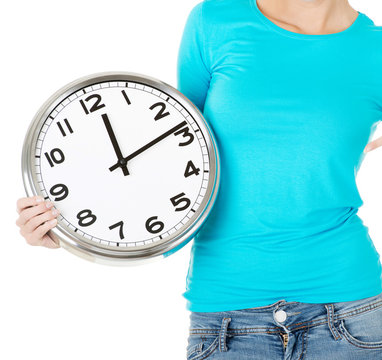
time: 12:13
